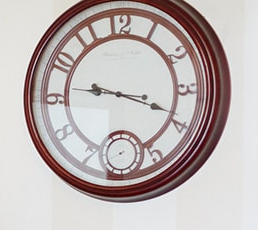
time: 9:18
